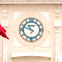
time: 10:49
